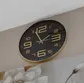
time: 1:56
